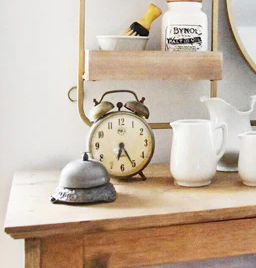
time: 6:25
